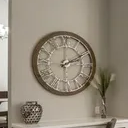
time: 2:09
